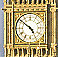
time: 4:51
